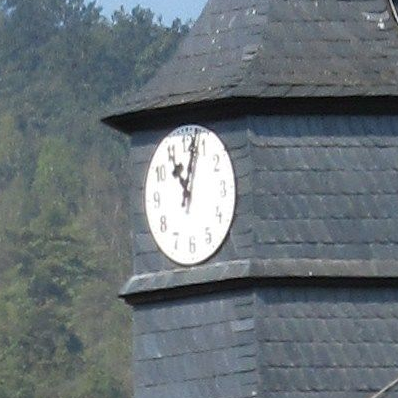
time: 11:02
